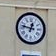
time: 12:47
